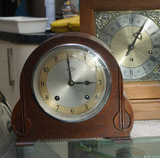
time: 2:59
